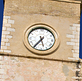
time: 5:36
